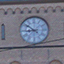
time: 8:51
